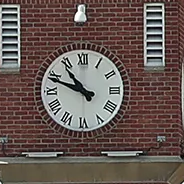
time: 10:48
